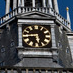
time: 5:44
